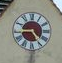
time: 4:44
